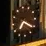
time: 7:20
